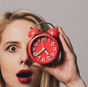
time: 4:38
